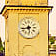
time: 5:42
